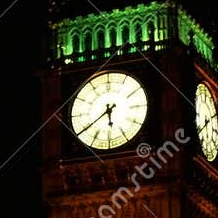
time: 5:39
